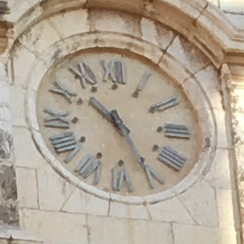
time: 10:25
